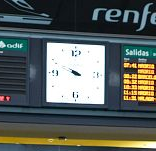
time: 9:48
